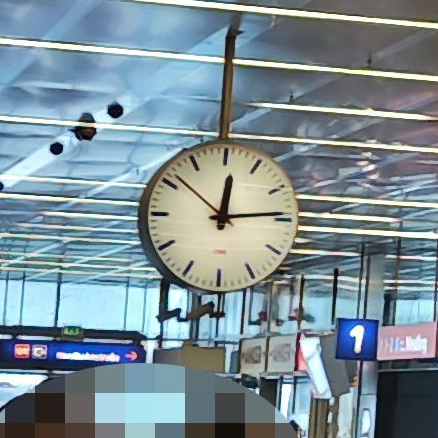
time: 12:13
